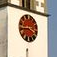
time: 3:43
